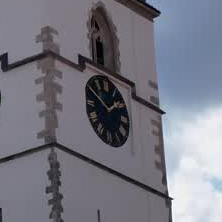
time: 1:50
